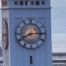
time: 8:14
